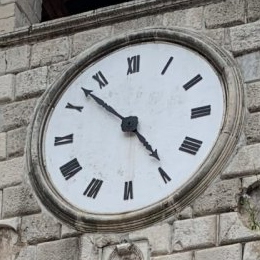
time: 4:52
